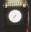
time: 7:36
